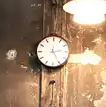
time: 2:25
